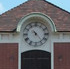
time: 10:23
